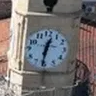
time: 12:31
